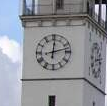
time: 12:12
